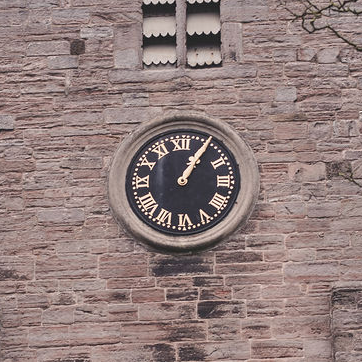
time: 1:05
